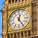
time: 12:24
